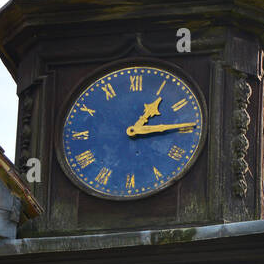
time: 1:13
